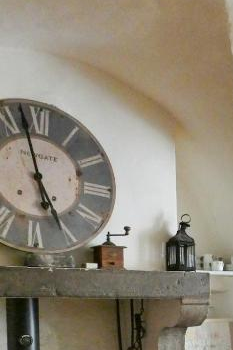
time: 4:57
